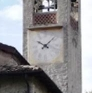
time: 10:07
